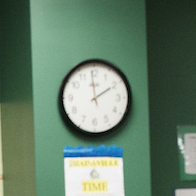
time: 1:59
